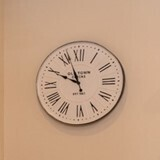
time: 9:56
